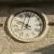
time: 10:02
